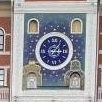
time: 3:06
